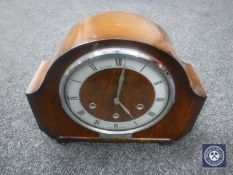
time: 5:01
